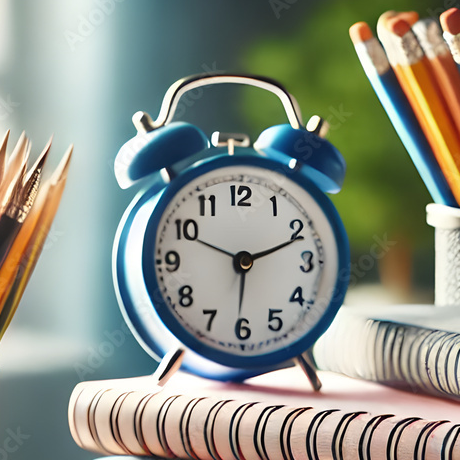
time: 2:11
